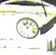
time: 11:07
